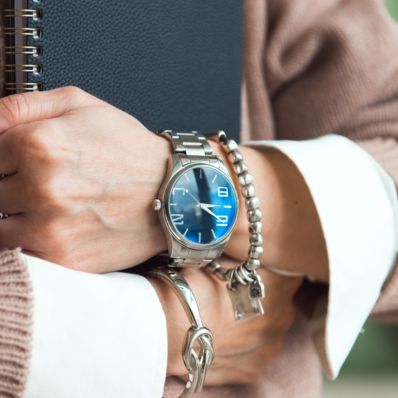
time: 3:58
